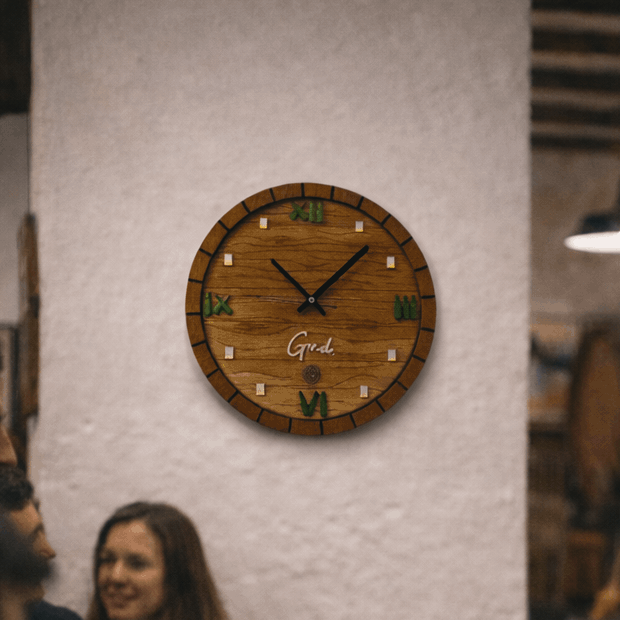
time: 10:07
